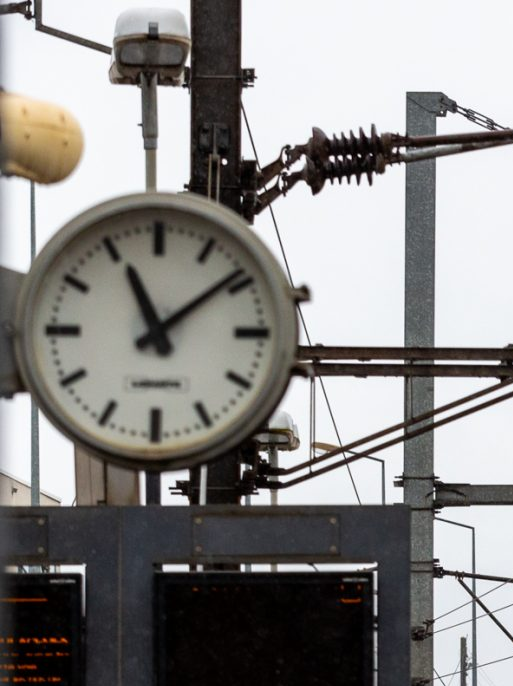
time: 11:08
